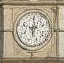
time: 5:59
